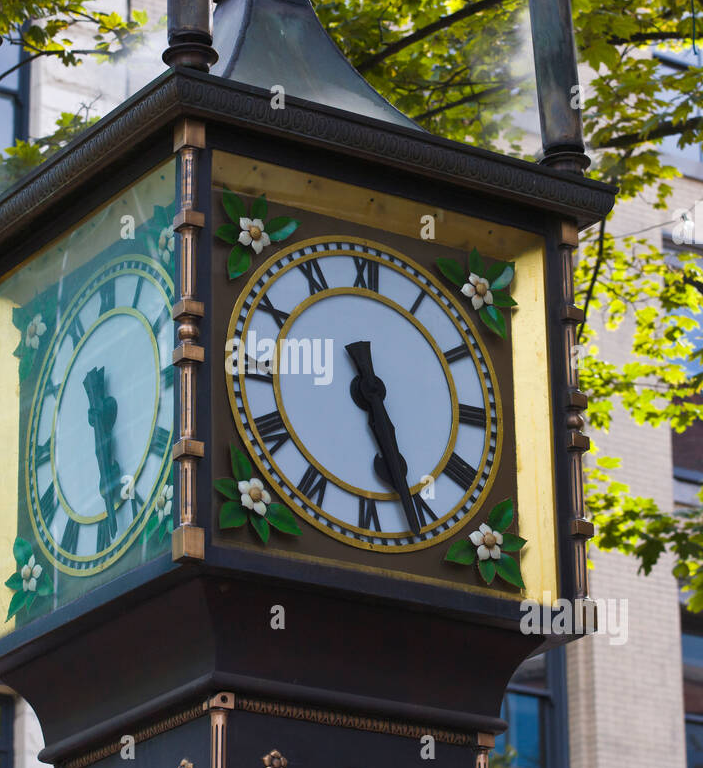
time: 5:26
